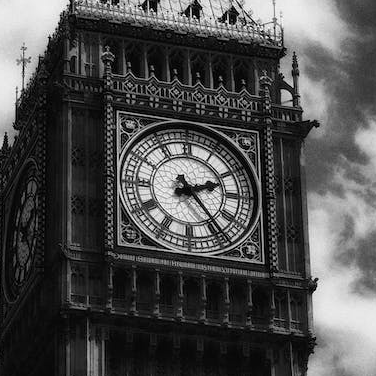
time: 2:23
